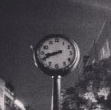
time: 8:41
